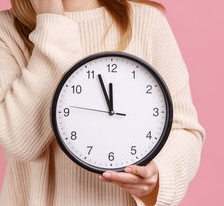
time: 11:56
